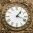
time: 1:18
